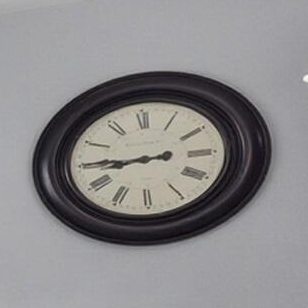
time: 8:44
